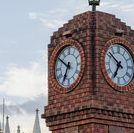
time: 6:50
